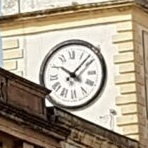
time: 10:07
